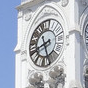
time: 8:26
